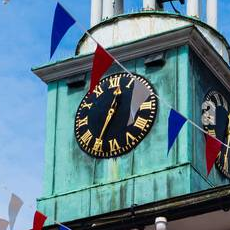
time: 12:34
